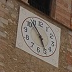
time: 4:52
